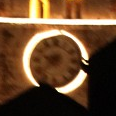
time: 9:37
